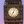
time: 7:04
